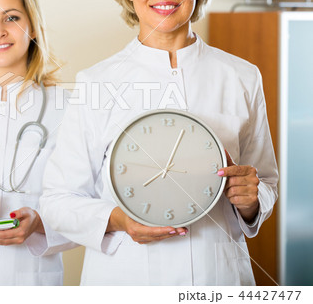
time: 8:03
